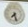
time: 7:27
